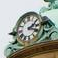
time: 2:18
